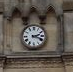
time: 2:18
